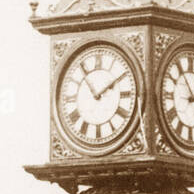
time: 1:53
